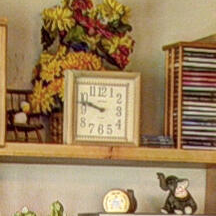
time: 9:47
